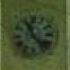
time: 11:22
